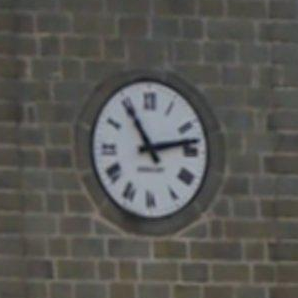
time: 11:13
